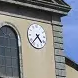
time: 4:37
